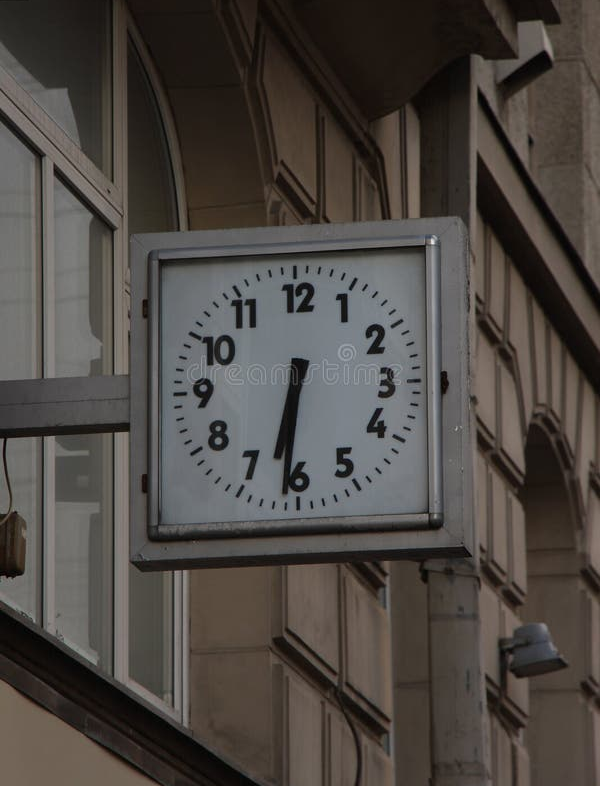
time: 6:31
